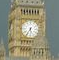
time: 5:35
